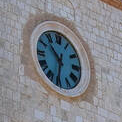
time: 10:32
